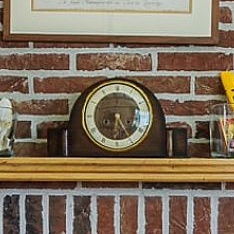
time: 6:25
